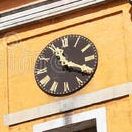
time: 11:19
